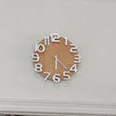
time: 6:22
